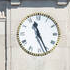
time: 11:25
